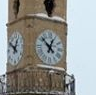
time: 12:52
